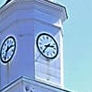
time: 2:36
